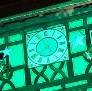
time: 7:55
